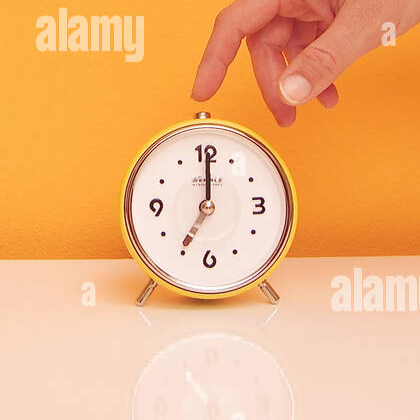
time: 7:00
